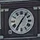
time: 7:06
